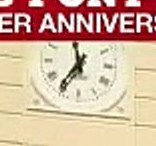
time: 11:35
